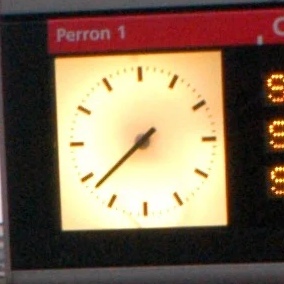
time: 7:38
